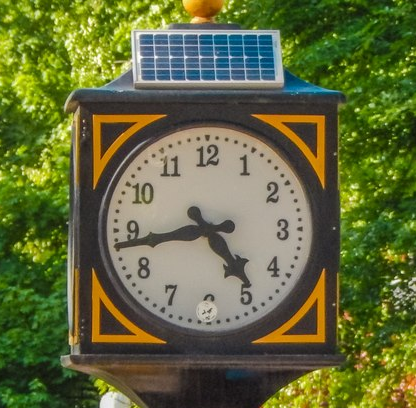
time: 4:43
